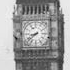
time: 8:38
